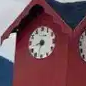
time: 8:33
